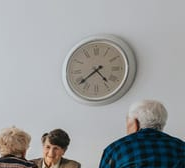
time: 4:38
